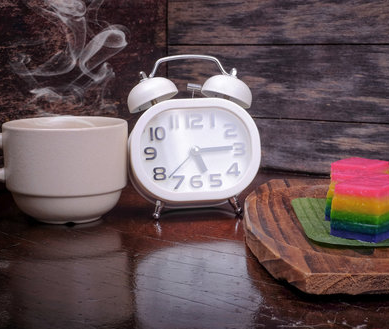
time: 5:14
